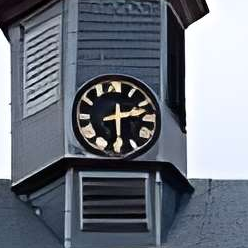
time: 2:29
